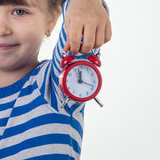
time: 12:18
